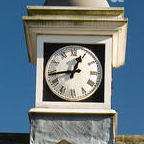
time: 12:43
